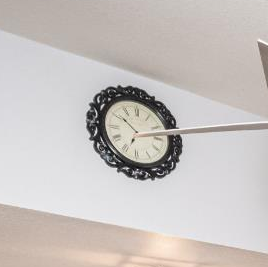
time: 10:12
